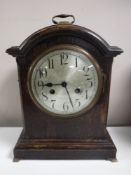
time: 8:45
